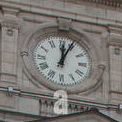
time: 12:04
